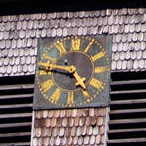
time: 4:46
